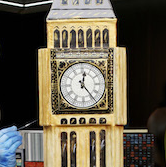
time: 12:23
